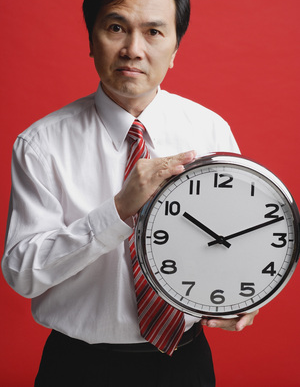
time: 10:11
